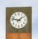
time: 1:47
